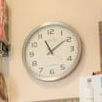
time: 11:09
